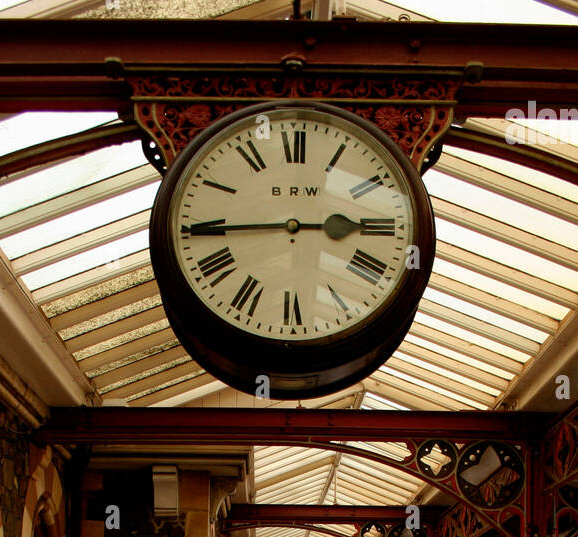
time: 2:44
